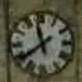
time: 11:39
